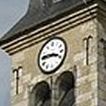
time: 3:45
